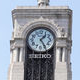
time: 1:24
